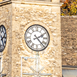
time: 2:22
